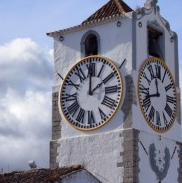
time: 2:00
